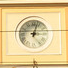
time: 3:02
